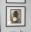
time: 12:23
